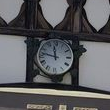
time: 11:46
